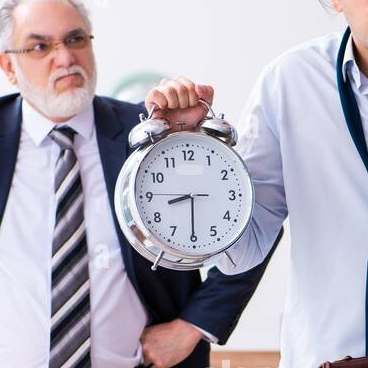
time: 8:30
